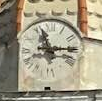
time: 11:14
